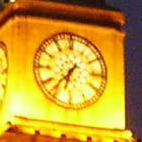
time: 6:36
